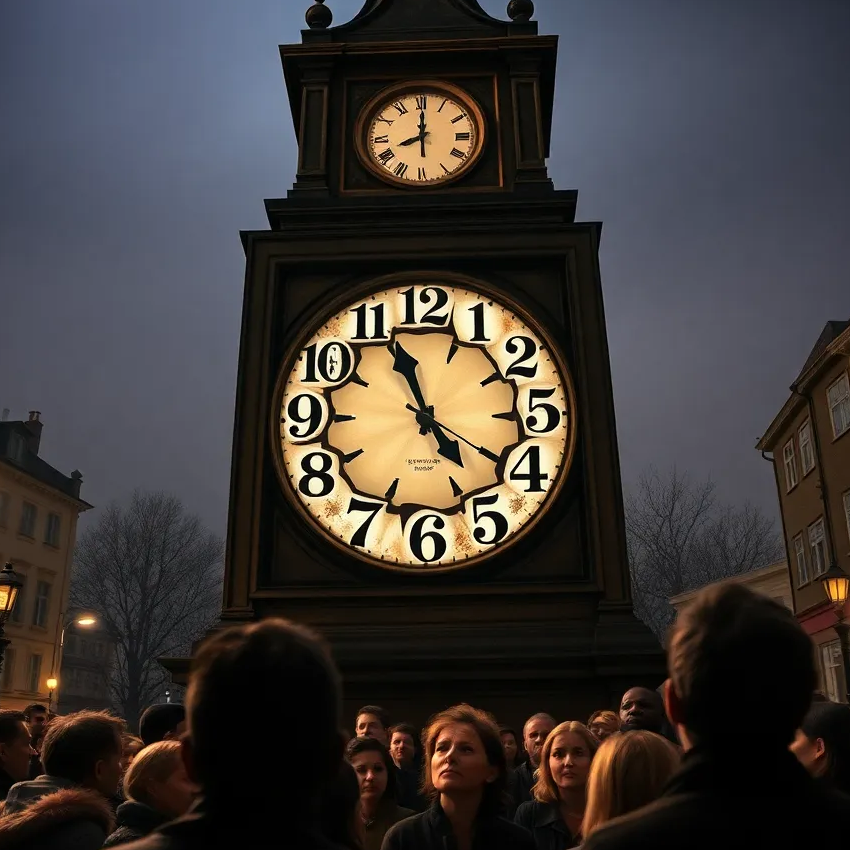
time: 4:56
